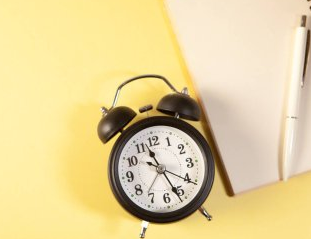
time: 11:26
